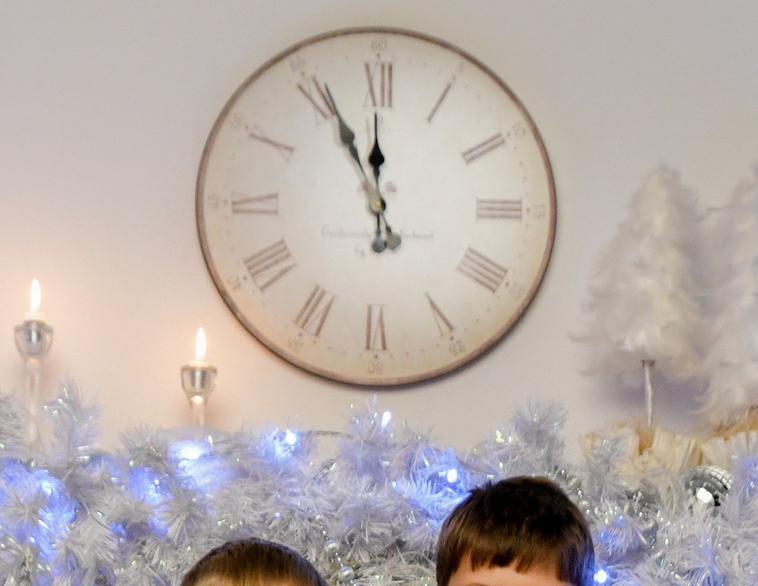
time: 11:55
